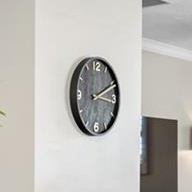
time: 2:16
